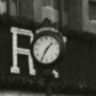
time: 1:34
